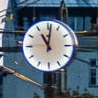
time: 11:01
